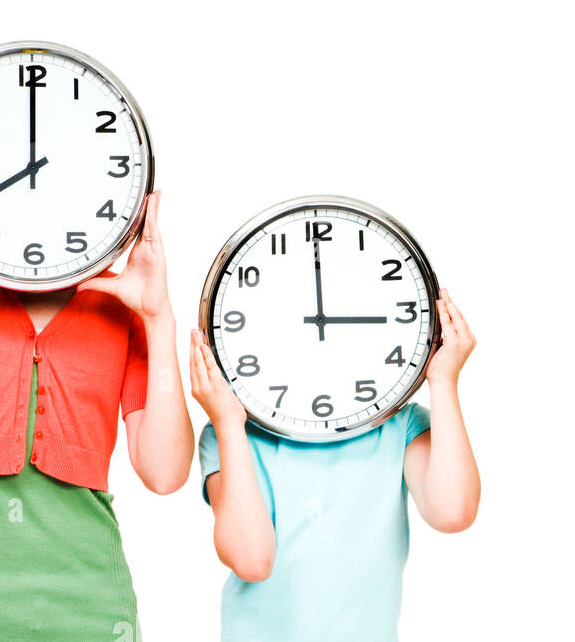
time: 2:59
